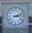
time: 3:12
